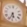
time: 5:33
